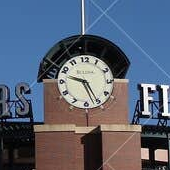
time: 9:25
